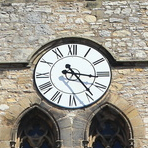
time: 3:23
